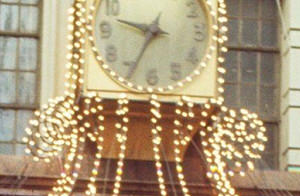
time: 9:34
